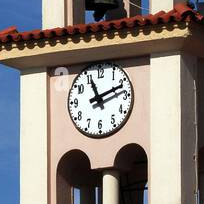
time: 11:11
